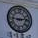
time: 9:13
